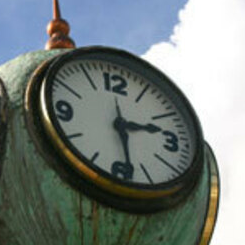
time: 2:28
